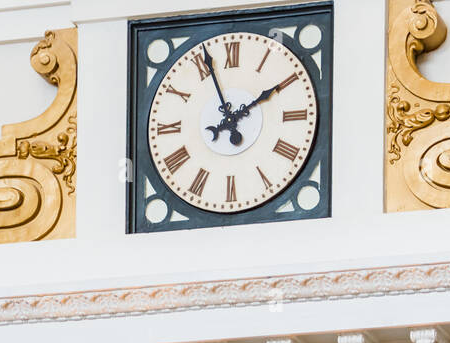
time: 1:56
